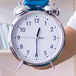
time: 12:29
